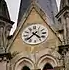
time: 4:37
